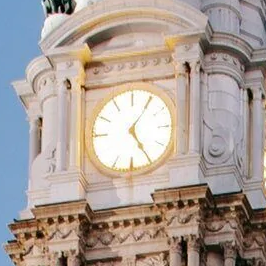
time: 5:05
